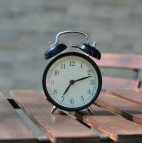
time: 7:12
